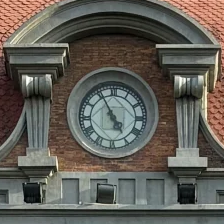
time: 4:55
